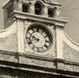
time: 9:42
